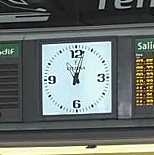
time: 11:02
